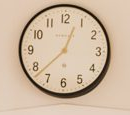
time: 12:37
